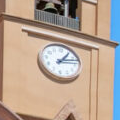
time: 1:12
